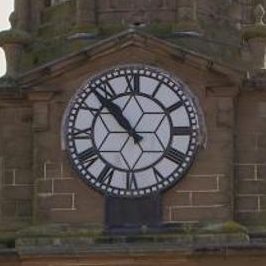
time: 10:53
